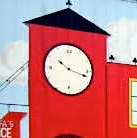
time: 10:18
